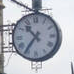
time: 10:36
